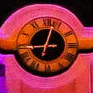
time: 9:02
